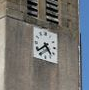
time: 4:38
